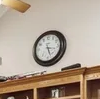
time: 3:26
